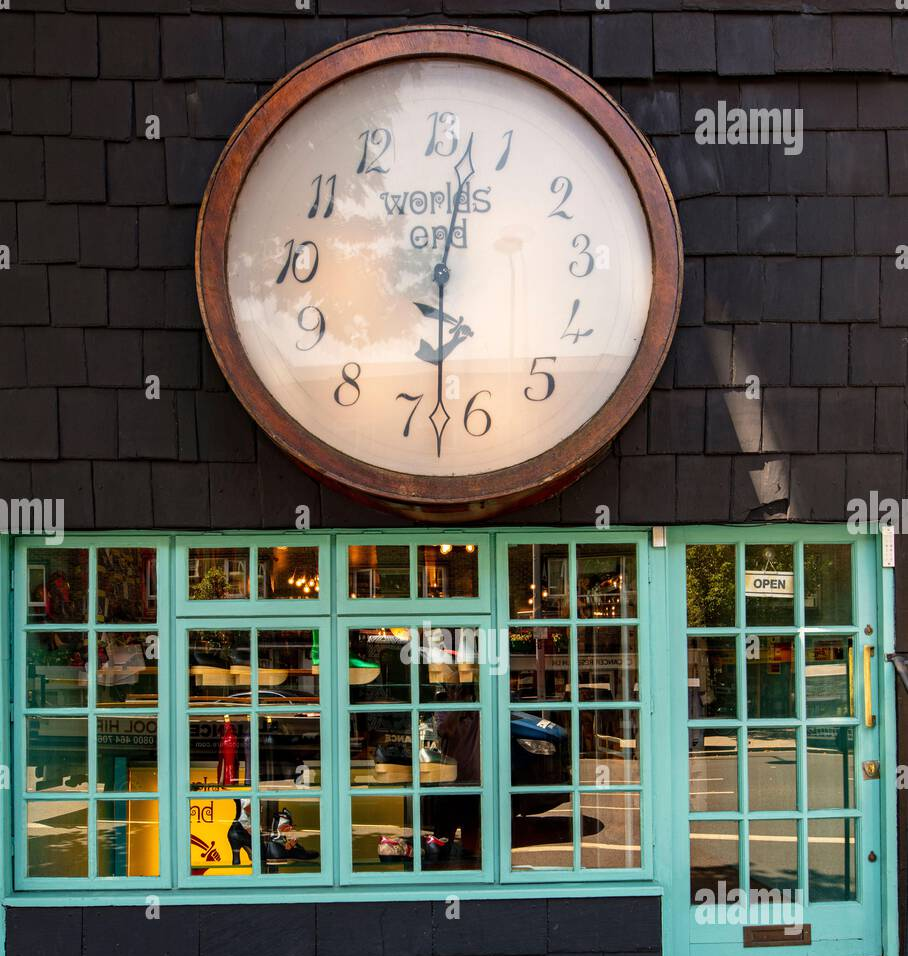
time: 12:32
